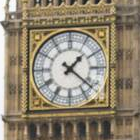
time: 1:21
